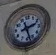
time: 2:26
